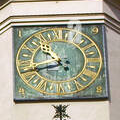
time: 10:43
